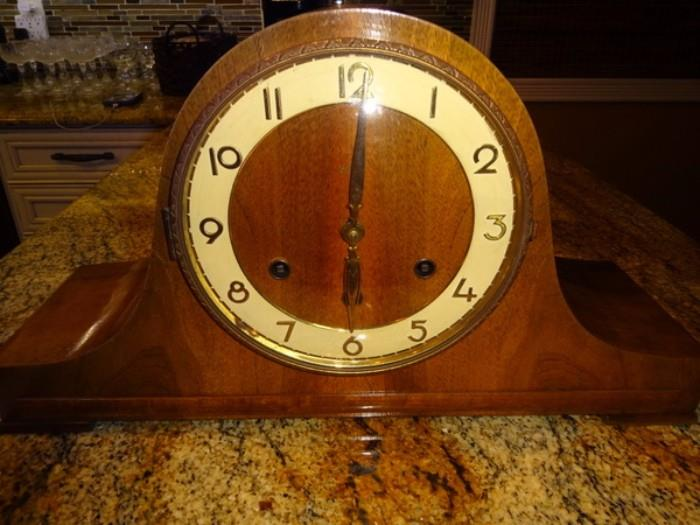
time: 6:00
